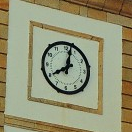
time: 8:02
